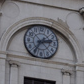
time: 2:36
